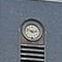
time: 2:48
